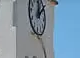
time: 12:07
